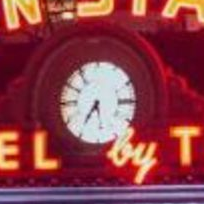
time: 5:35
